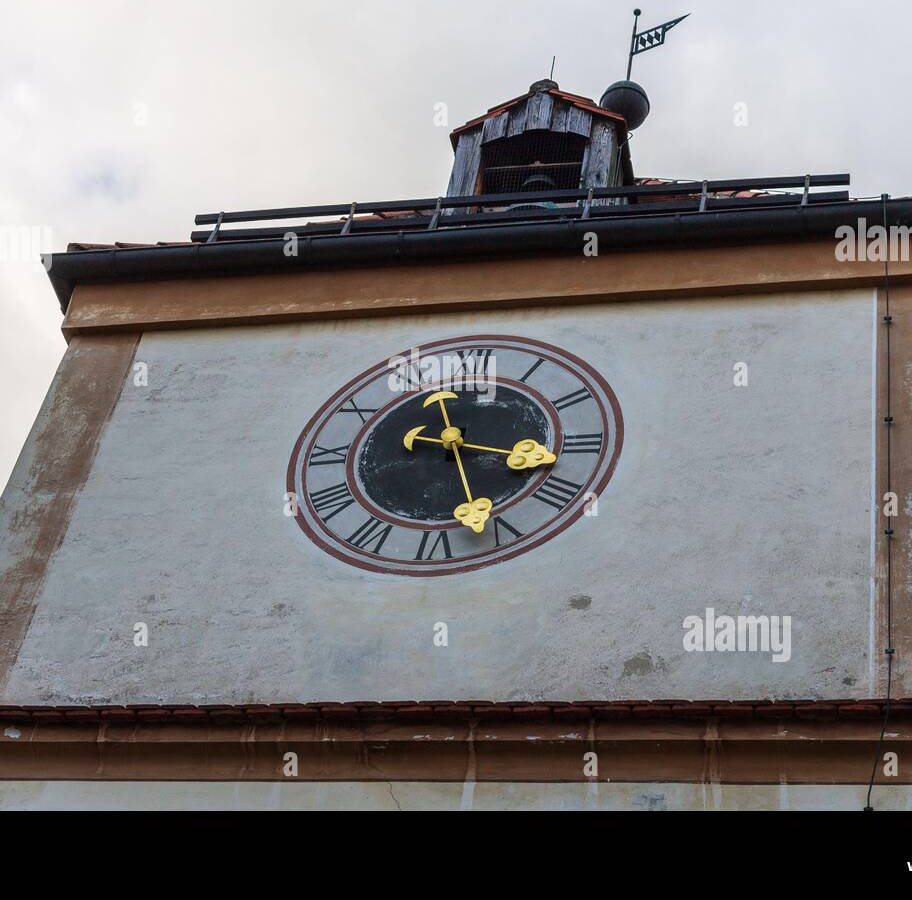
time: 3:26
